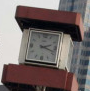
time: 2:18
